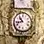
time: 10:42
